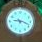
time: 9:18
